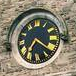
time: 7:21
